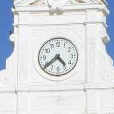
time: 4:38
